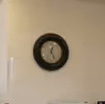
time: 12:24
